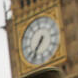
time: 7:36
